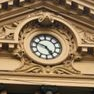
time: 4:49
